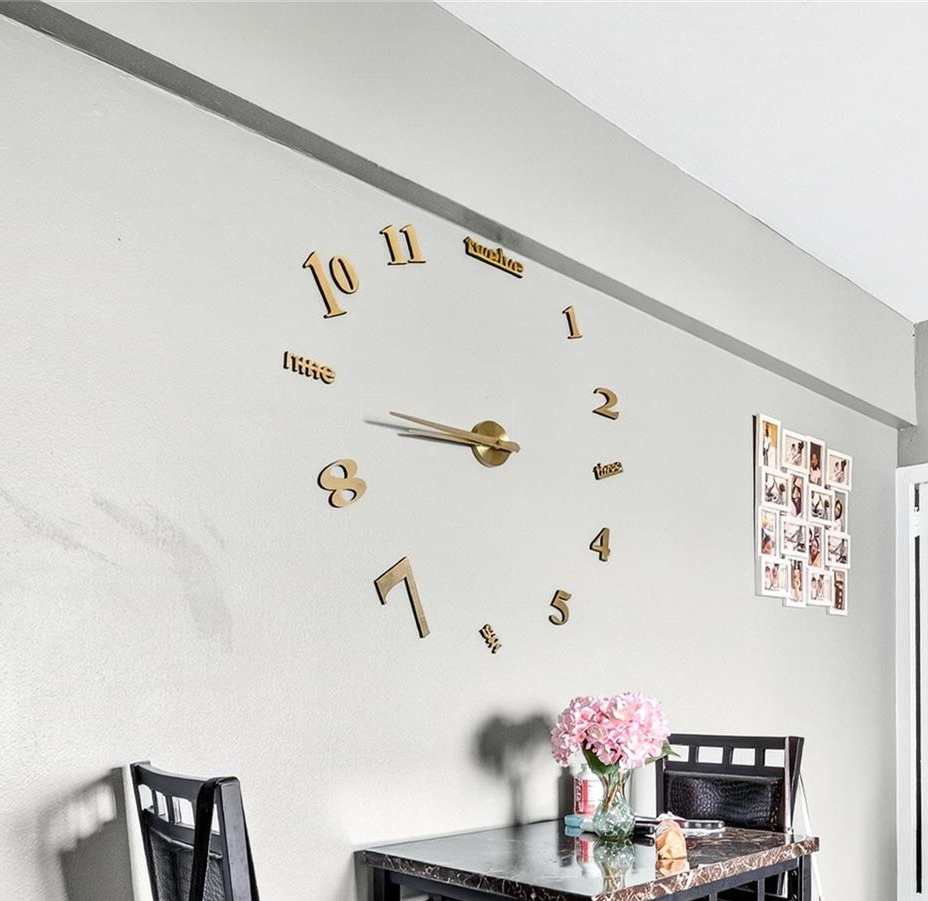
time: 8:43
